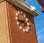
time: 7:43
